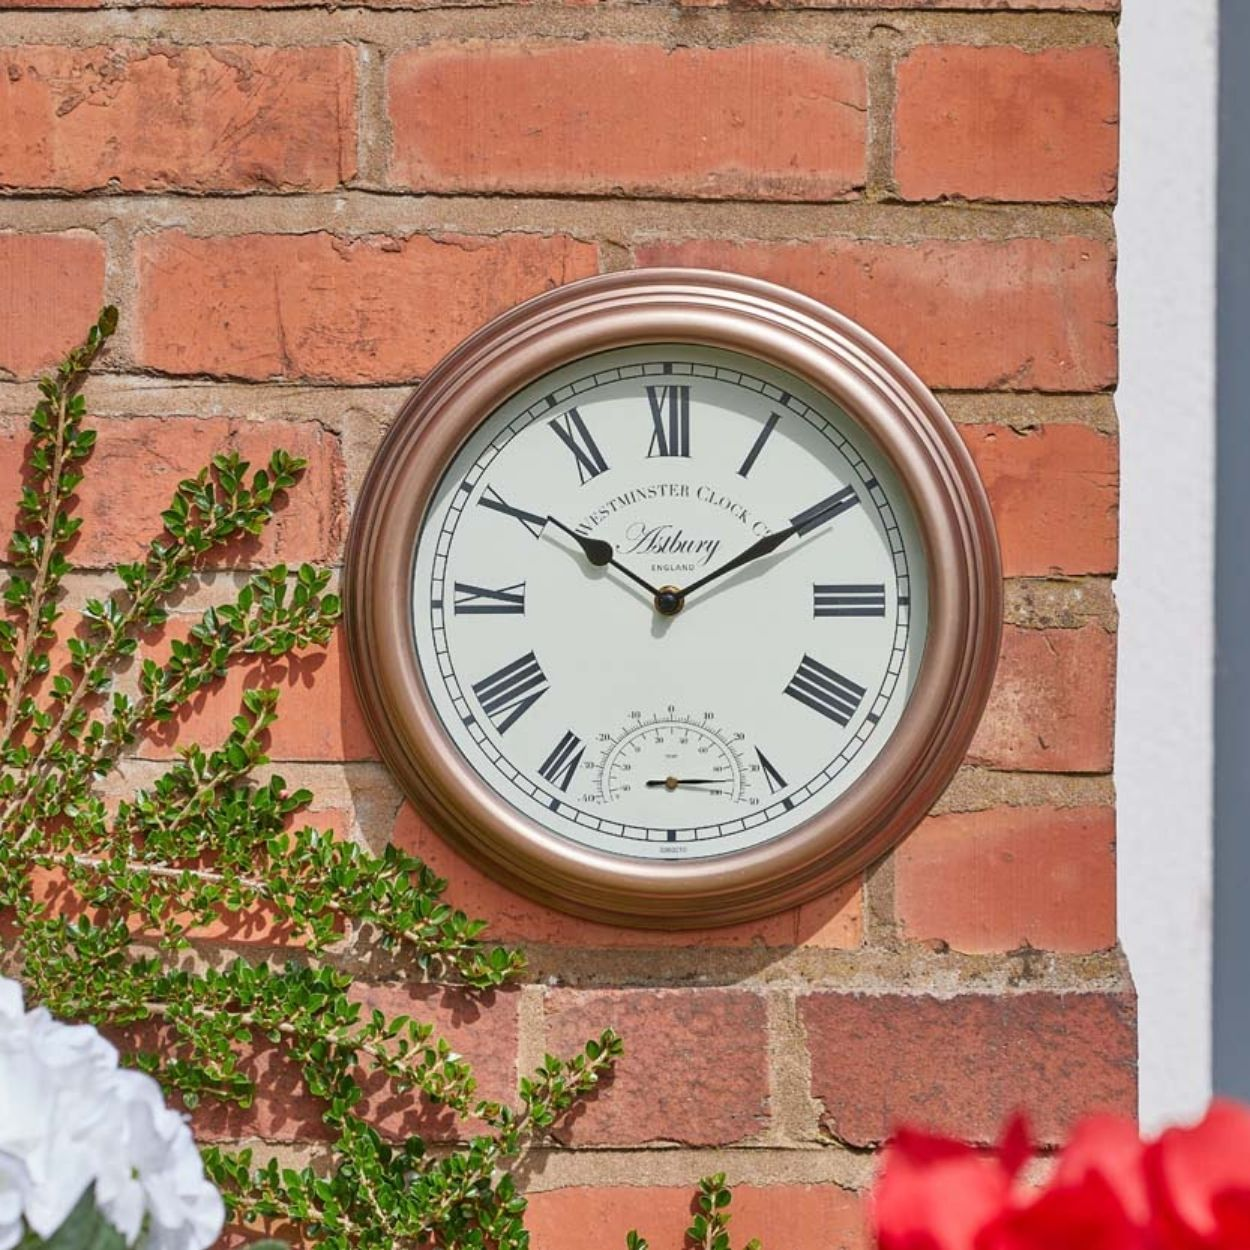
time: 10:09
